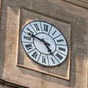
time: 4:47
